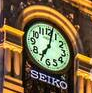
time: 7:02
